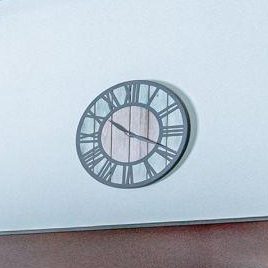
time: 10:18
